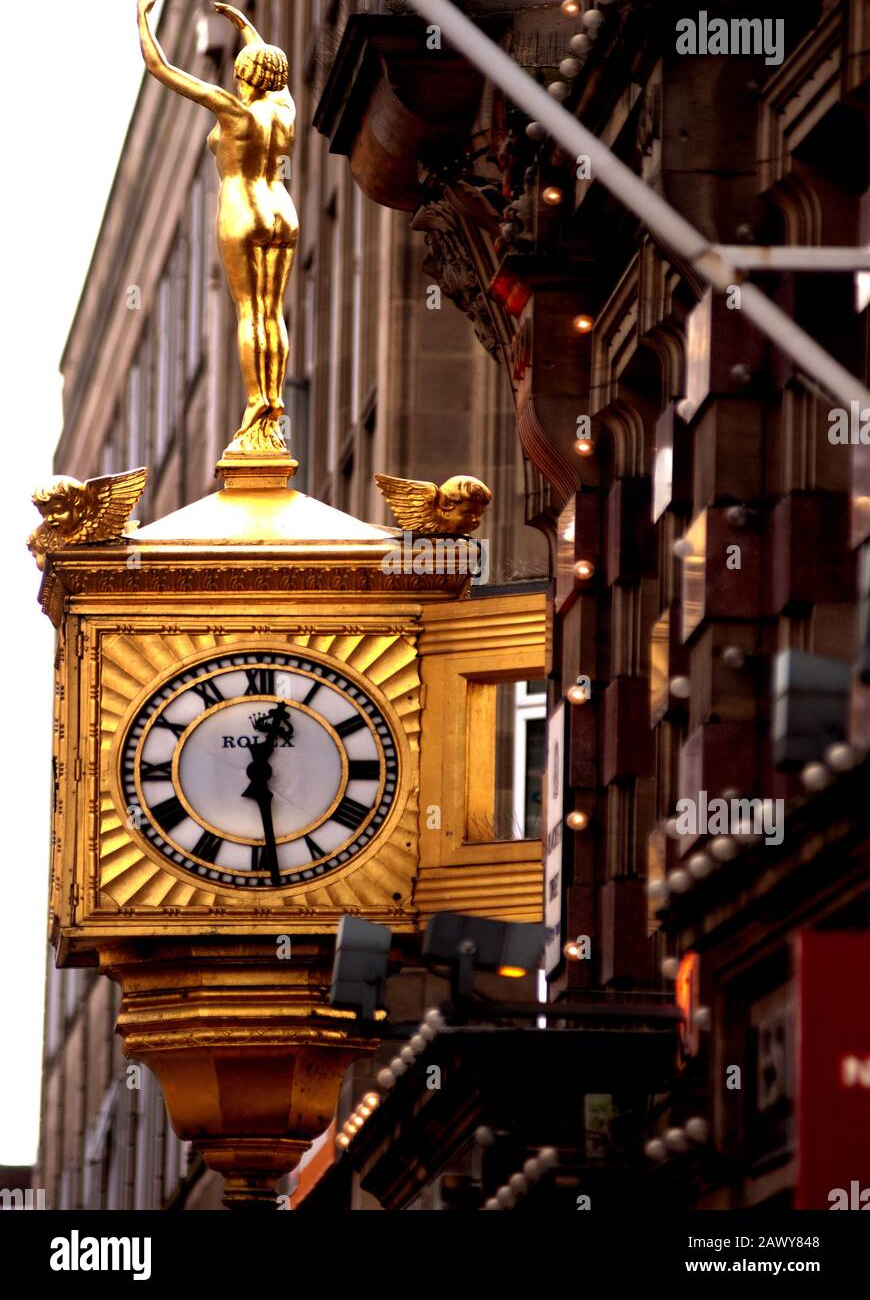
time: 12:28
